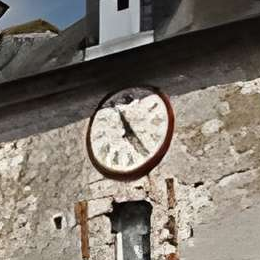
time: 11:24
